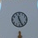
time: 11:25
